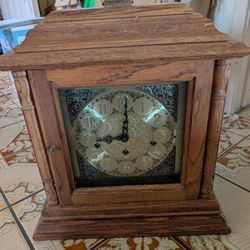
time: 9:01
